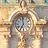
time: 6:58
